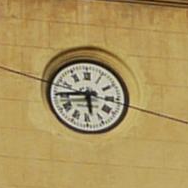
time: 5:44
